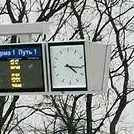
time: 4:16
